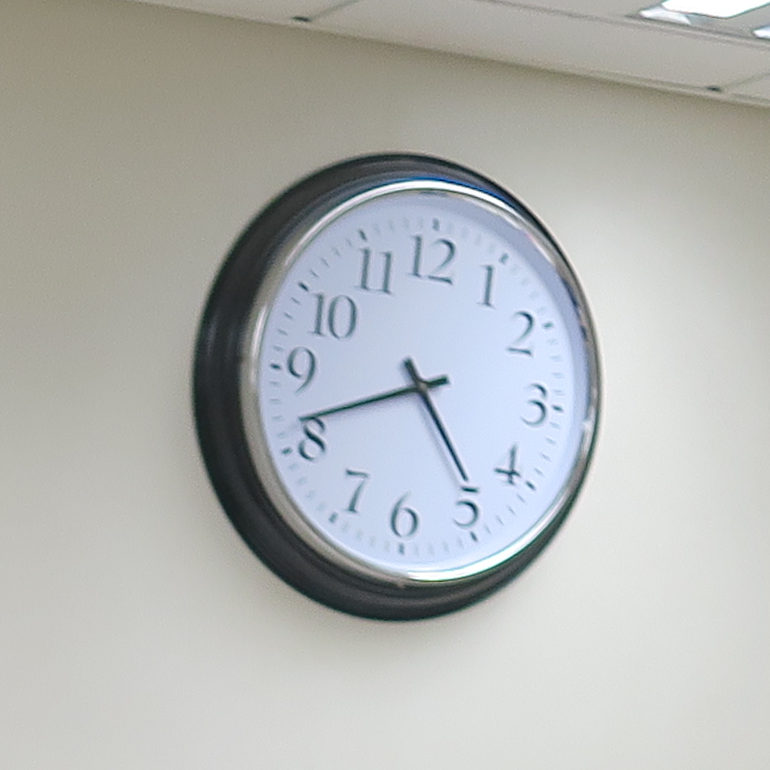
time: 4:41
